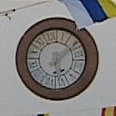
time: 6:08
